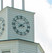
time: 3:09
